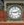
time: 9:12
